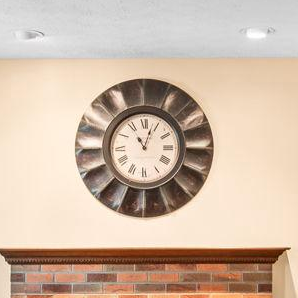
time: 11:04
